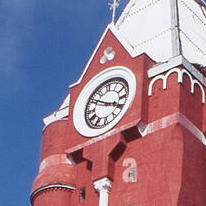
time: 3:50
